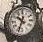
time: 10:34
